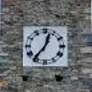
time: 12:36
